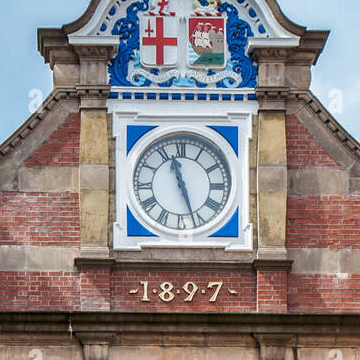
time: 11:26
